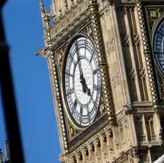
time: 4:59
